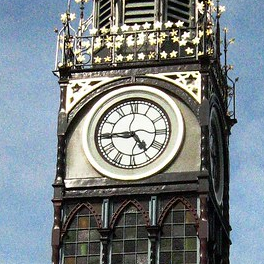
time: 4:44
